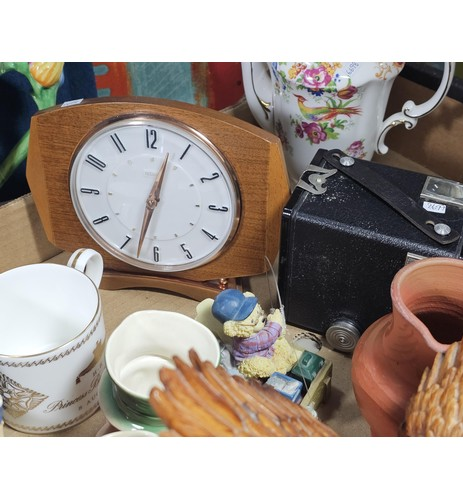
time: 12:32
